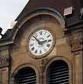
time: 2:53
